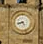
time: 8:24
